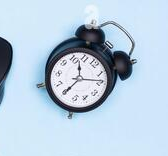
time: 11:35
